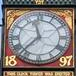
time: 11:37
